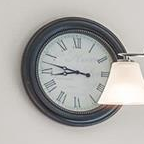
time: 8:47
